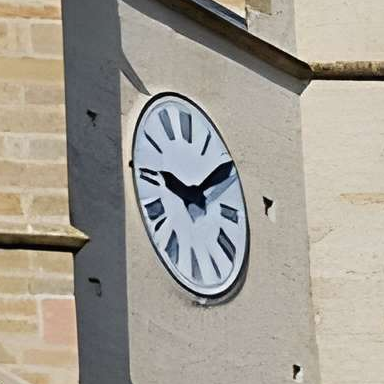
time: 9:09
